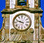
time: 9:47
